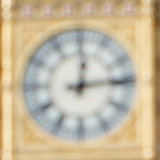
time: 12:13
